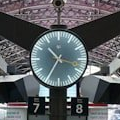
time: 10:34
